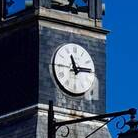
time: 11:14
